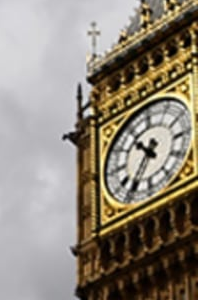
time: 10:36
